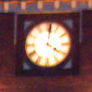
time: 4:01
